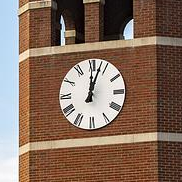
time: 12:03
